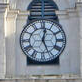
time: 12:25
